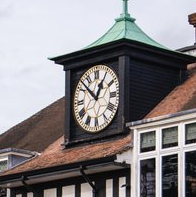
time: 12:52
